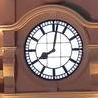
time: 8:01
